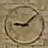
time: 9:08
